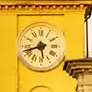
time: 5:42
